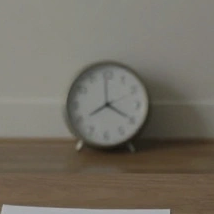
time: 7:59
